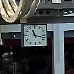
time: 11:17
